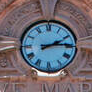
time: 2:14
